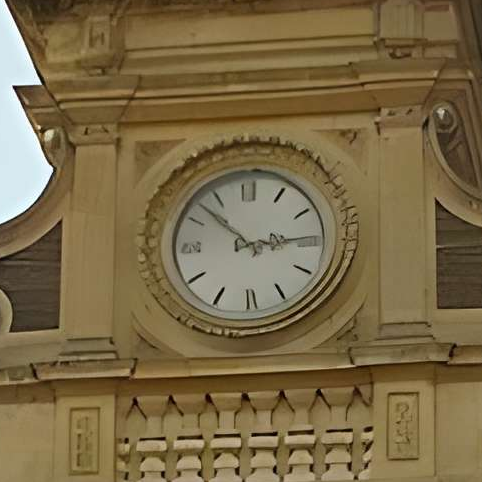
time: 2:52
